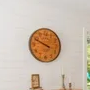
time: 9:49
